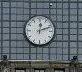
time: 12:11
